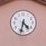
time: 4:32
